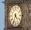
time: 4:33
